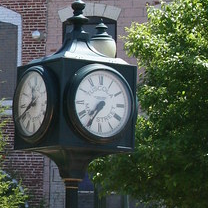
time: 7:35
